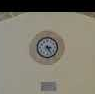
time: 3:24
